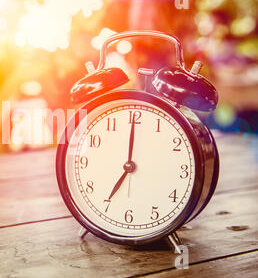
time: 7:00
